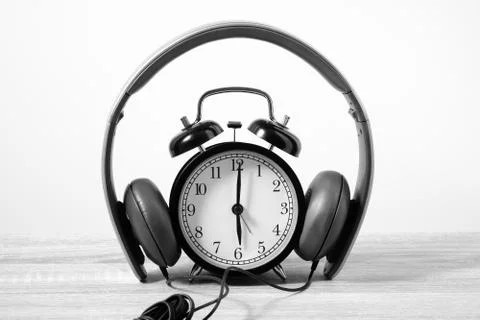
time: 6:00
